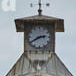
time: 2:40
